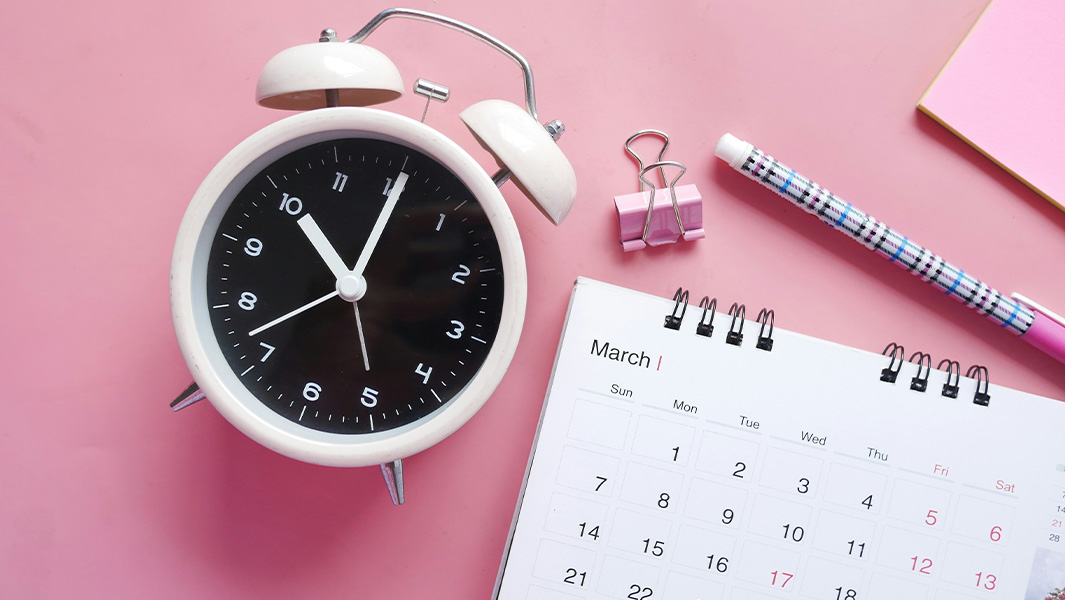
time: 11:05
